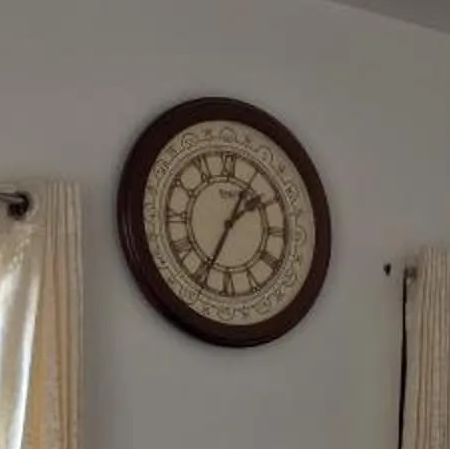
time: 1:34
